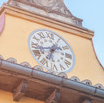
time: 6:42
